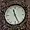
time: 11:25
